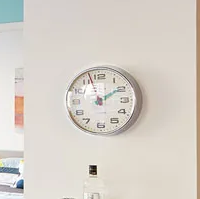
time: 1:56
